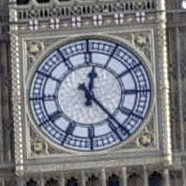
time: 12:23
